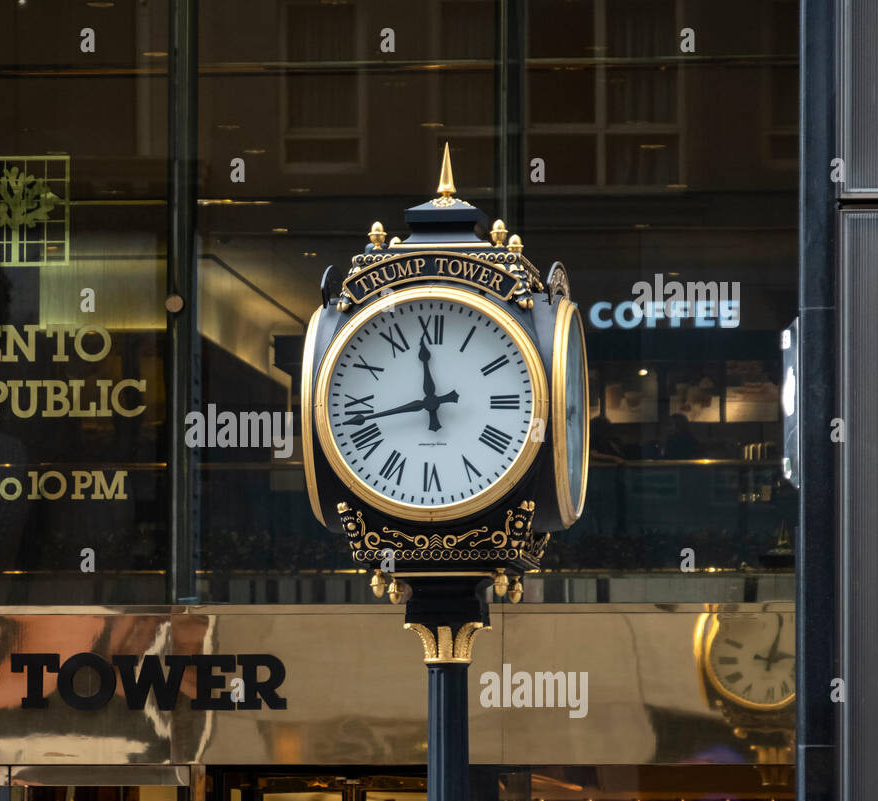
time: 11:42
